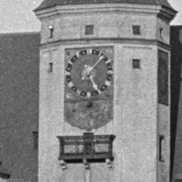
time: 5:06
